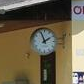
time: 1:56
